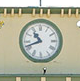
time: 10:41
